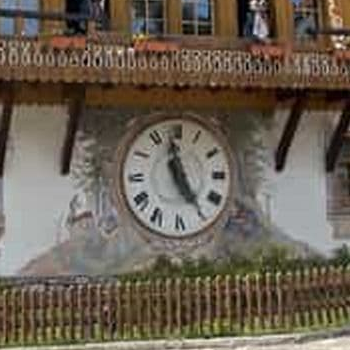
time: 4:57
